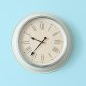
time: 9:36
